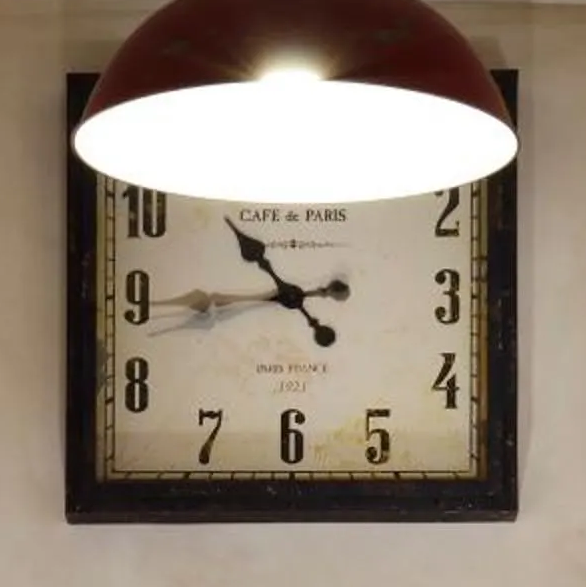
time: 10:44
